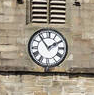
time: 1:53
